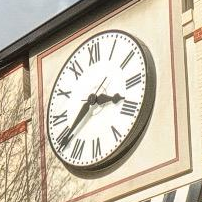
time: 3:39
